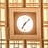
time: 7:07
